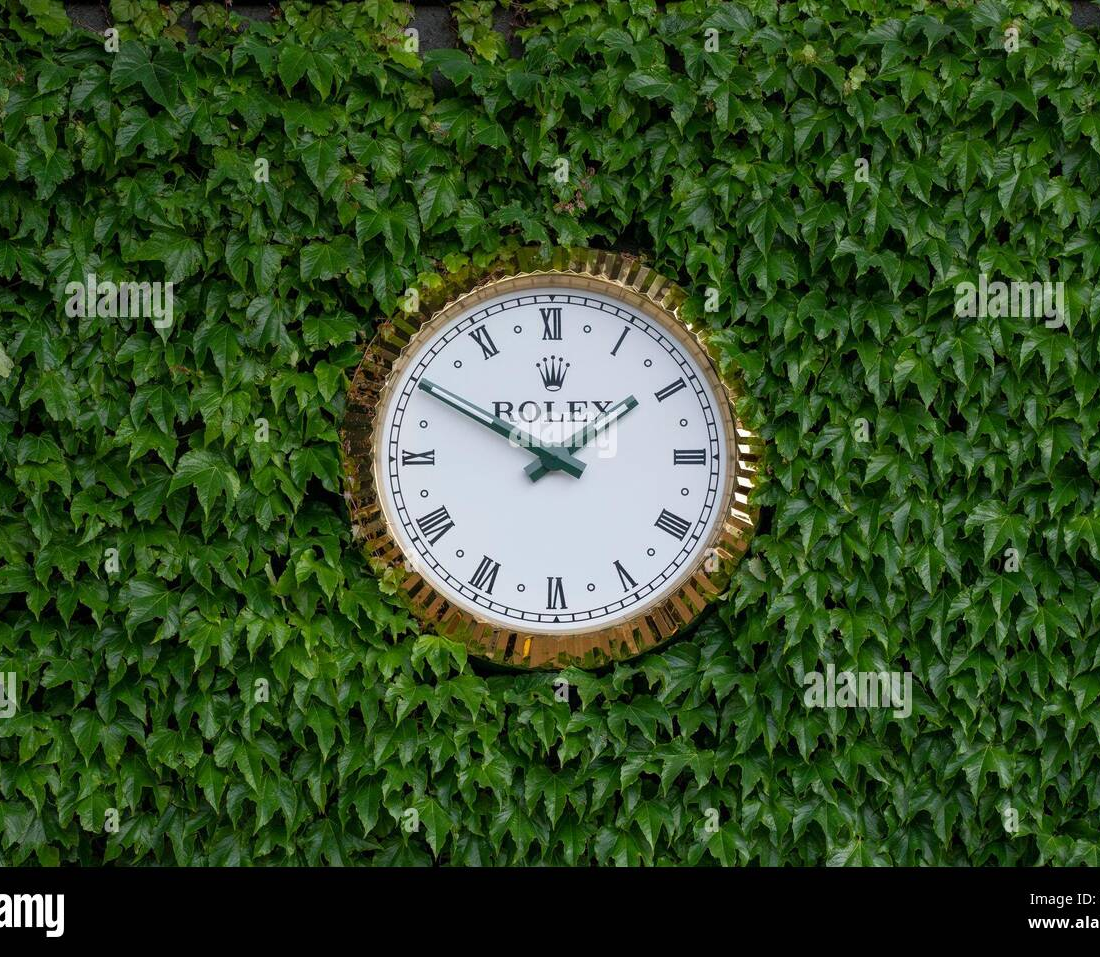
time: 1:49
